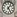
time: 5:06
